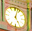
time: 5:02
